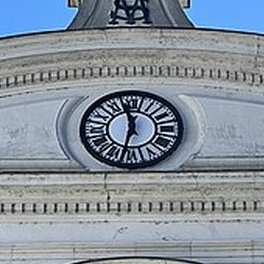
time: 11:32
